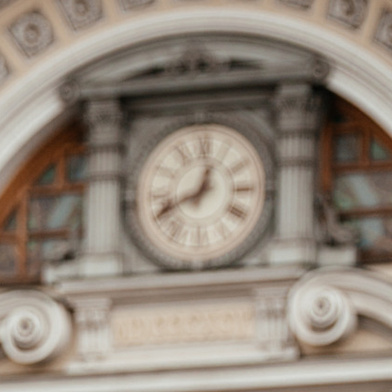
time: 12:40
